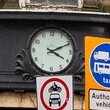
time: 4:10
